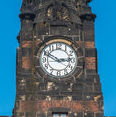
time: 2:50
